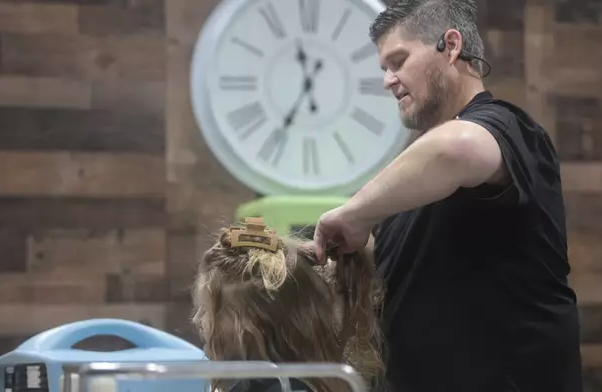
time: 11:35
